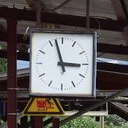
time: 2:57
